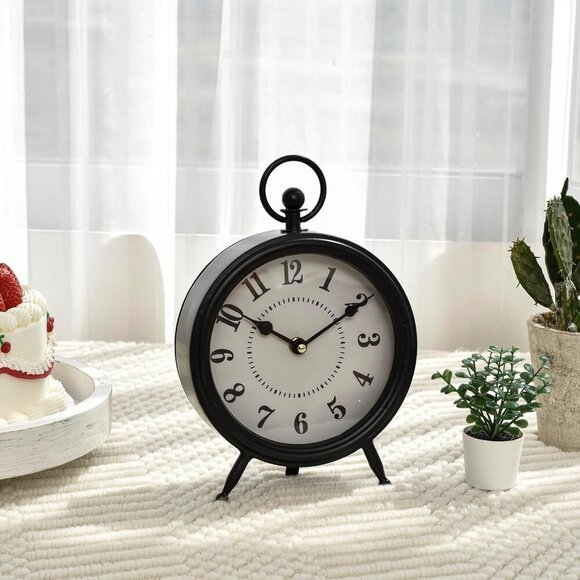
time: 10:10
